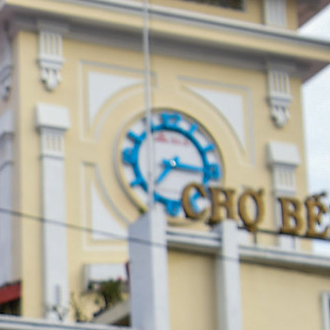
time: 7:15
